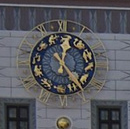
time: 12:24
